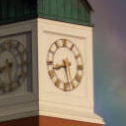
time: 8:27
